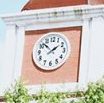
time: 1:52
